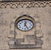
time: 12:24
